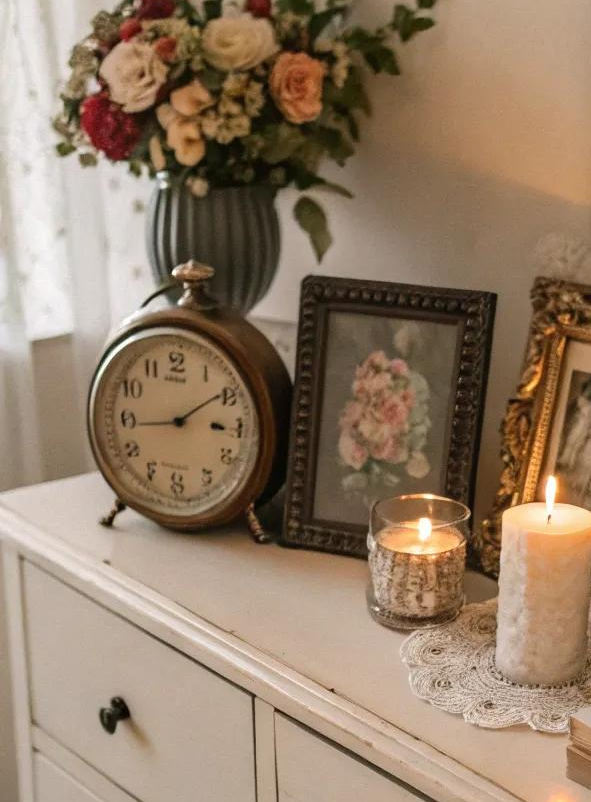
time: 3:09
